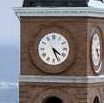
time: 4:26
